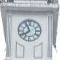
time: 7:55
